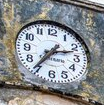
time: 2:36
